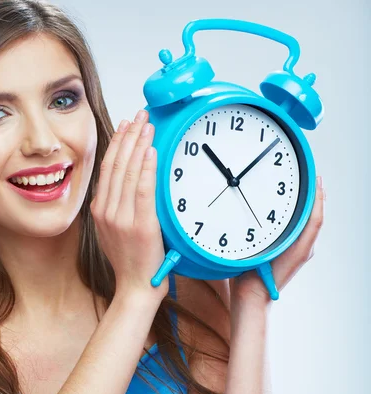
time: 10:07
